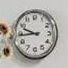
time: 9:44
